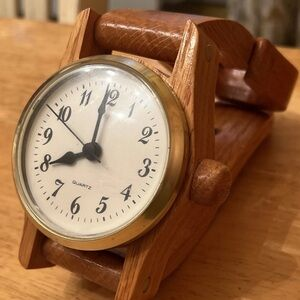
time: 7:59
